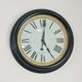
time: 5:01
